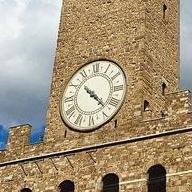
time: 10:22
